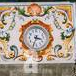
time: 3:34
